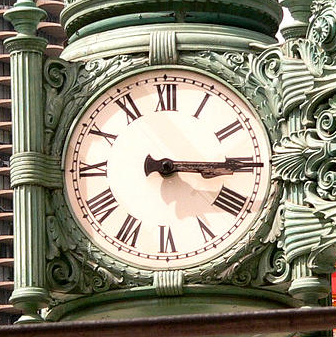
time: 3:14
